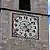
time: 5:08
